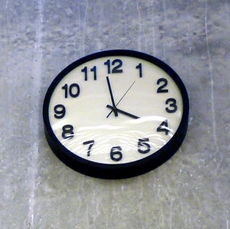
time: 3:58
